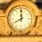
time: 7:59
